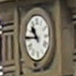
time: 10:45
